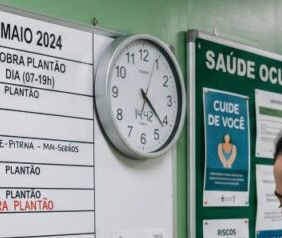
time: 4:21
